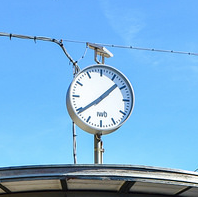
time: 1:39
